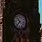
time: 10:37
